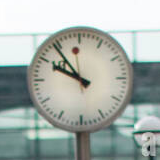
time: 9:54
